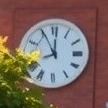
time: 11:55
